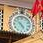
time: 4:52
